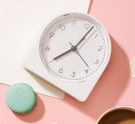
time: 8:07
